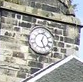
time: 5:03
